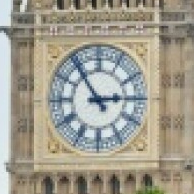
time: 2:54
